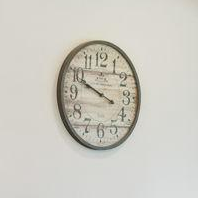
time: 3:48
